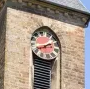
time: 1:41
